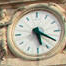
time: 5:19
